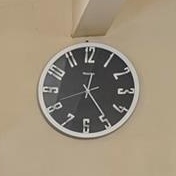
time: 12:24
